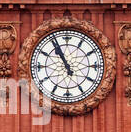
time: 10:55
